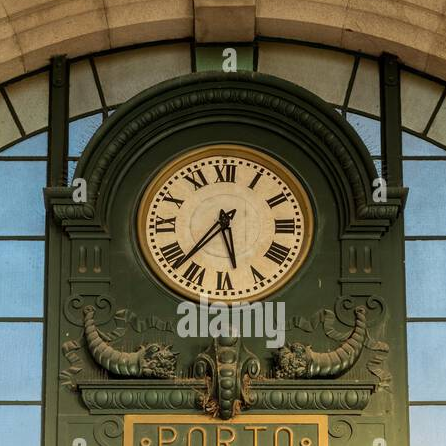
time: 5:37
